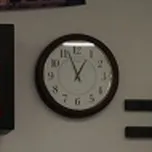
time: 12:56
